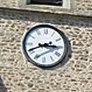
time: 2:40
